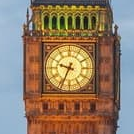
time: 9:34
